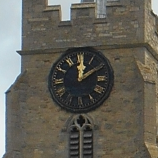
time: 12:09
